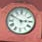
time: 2:49
